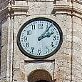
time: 2:06
